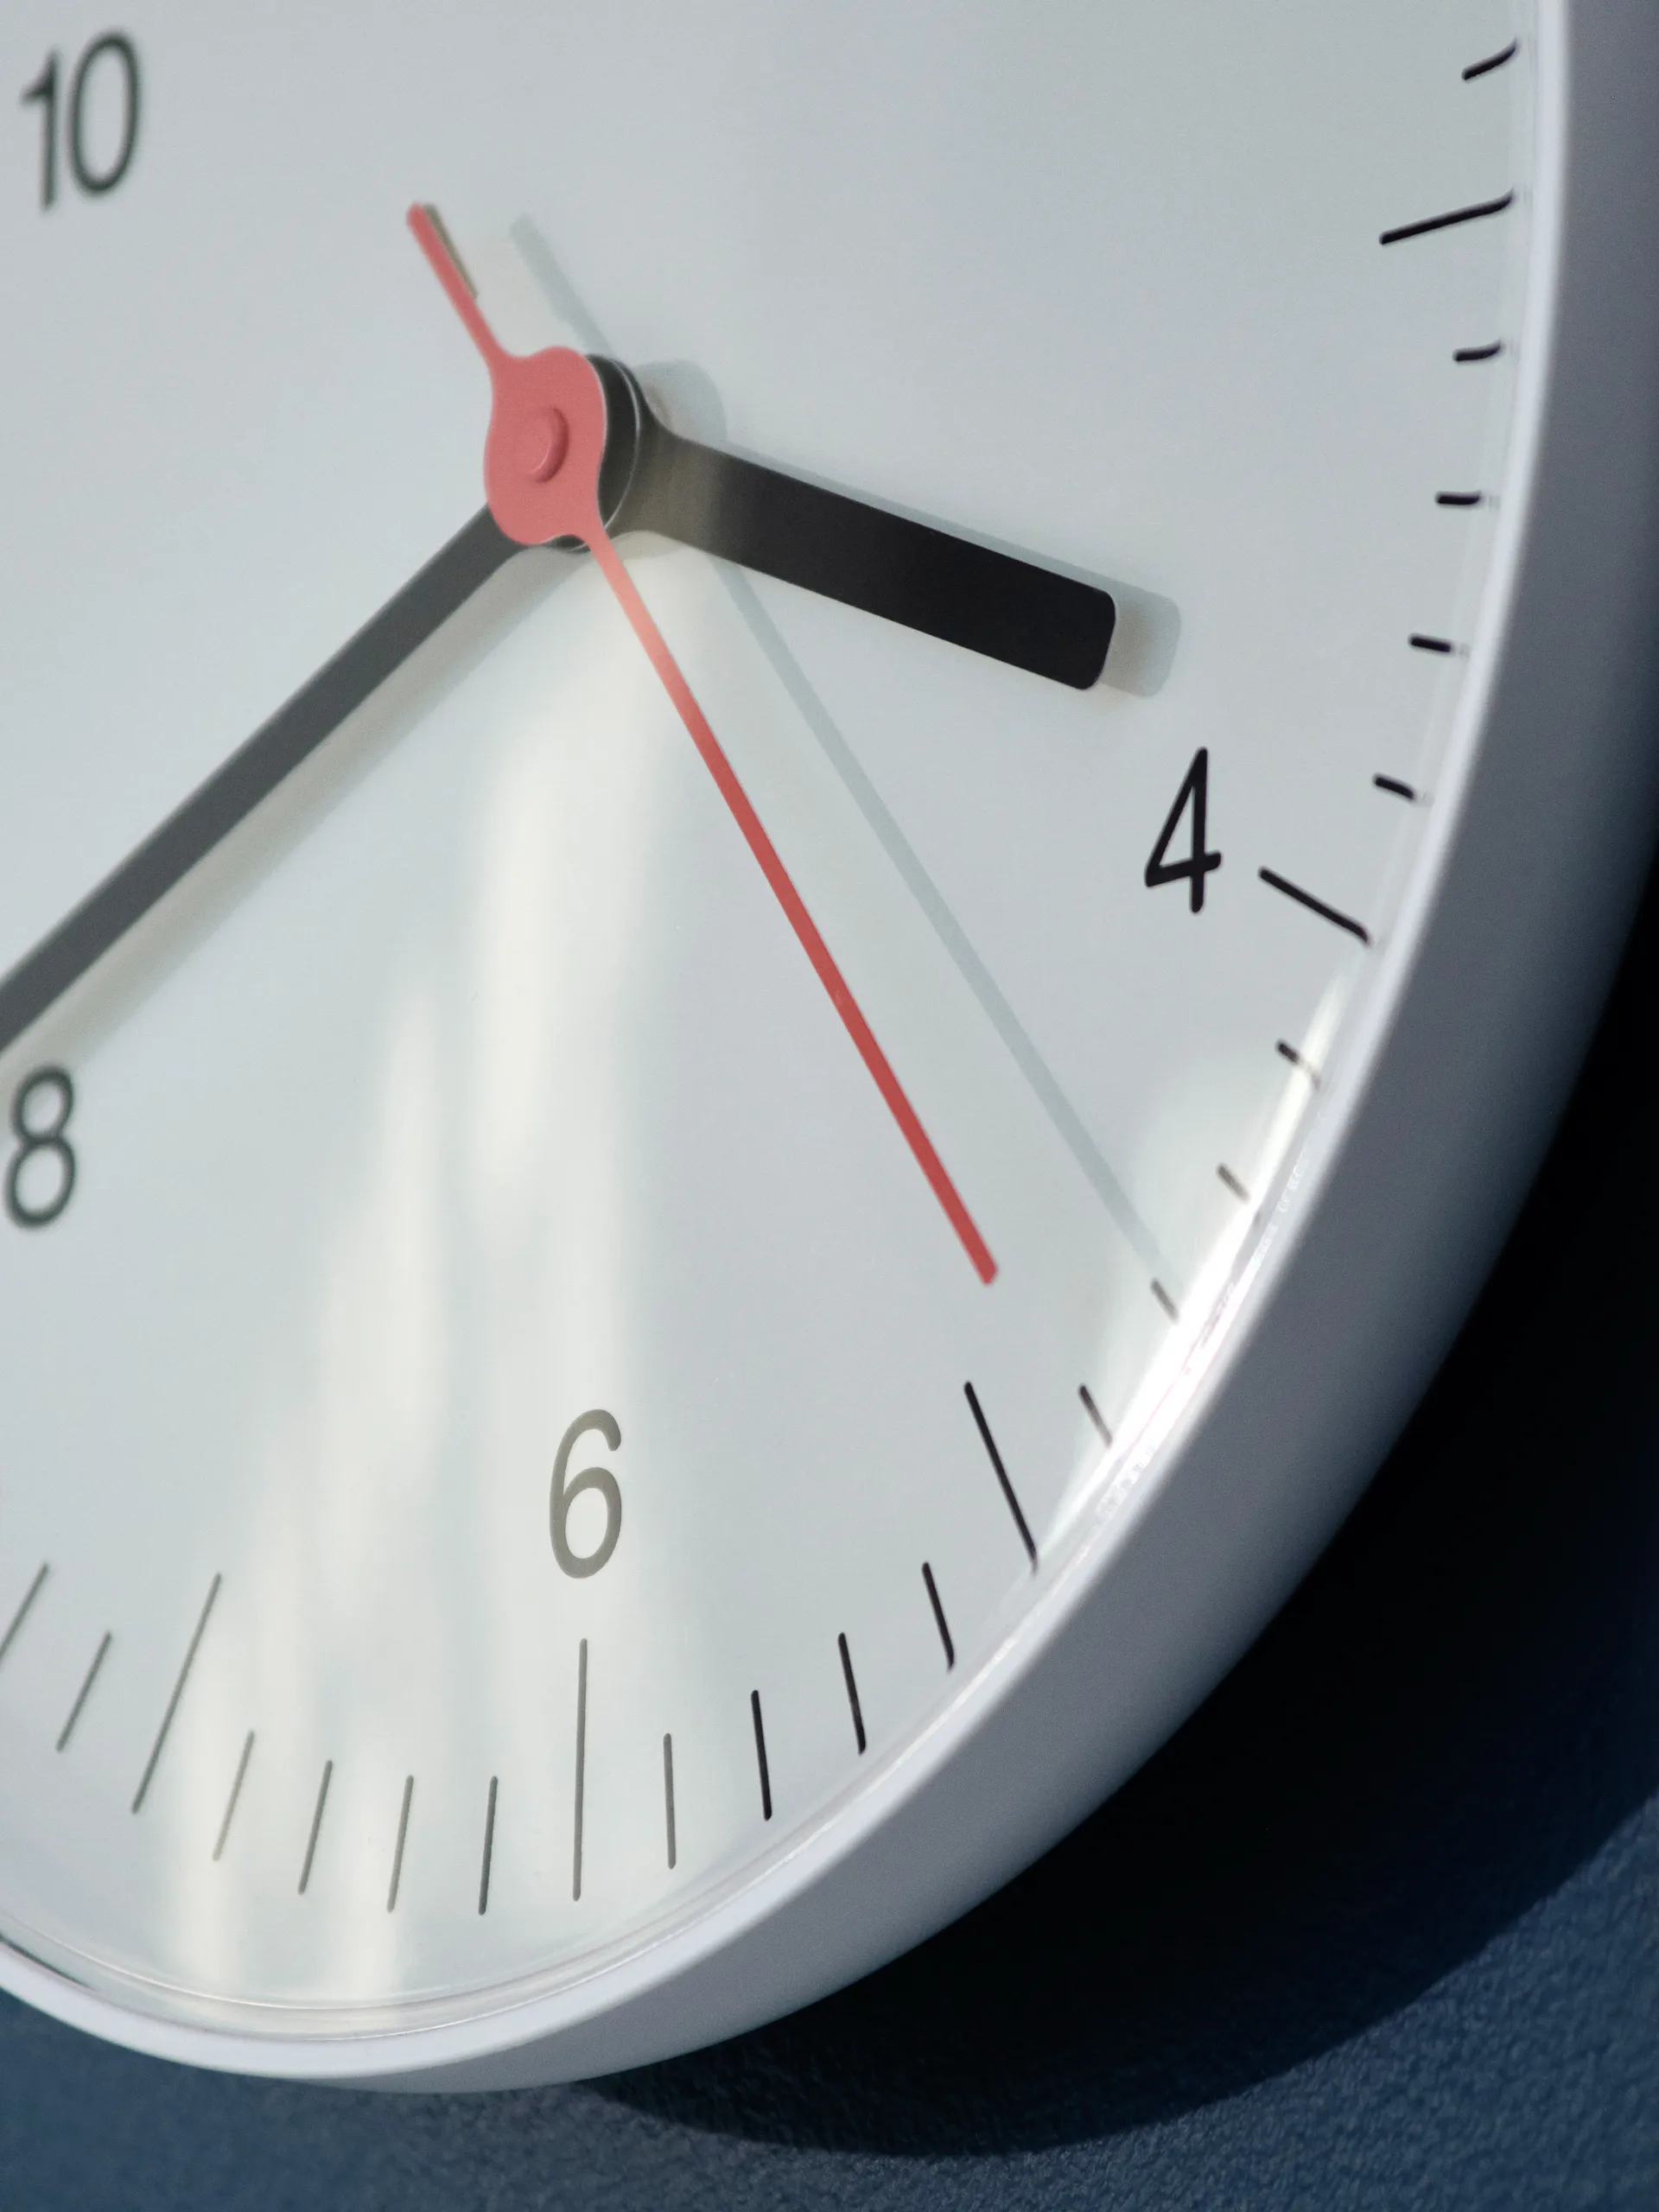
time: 3:40
